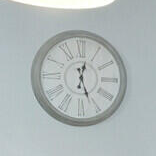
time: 12:26
